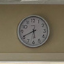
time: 5:40
